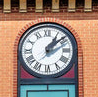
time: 1:08
